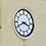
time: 3:40
